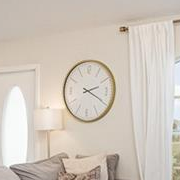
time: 2:19
